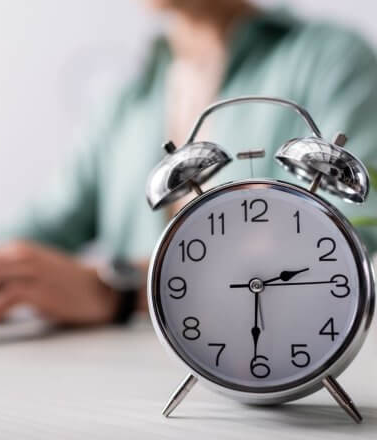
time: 2:30
